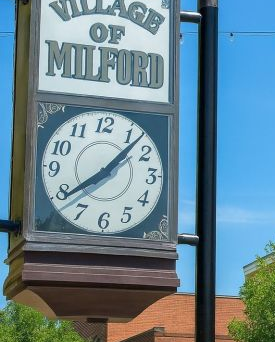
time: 1:39
